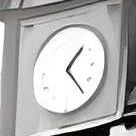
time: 1:23
